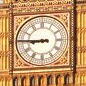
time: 8:45
